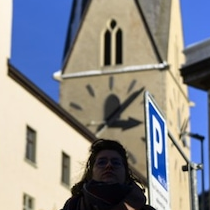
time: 3:07
